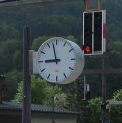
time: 8:57
